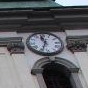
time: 11:33
